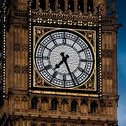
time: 7:26
